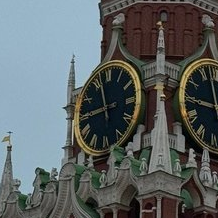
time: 8:57
